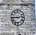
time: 2:45
